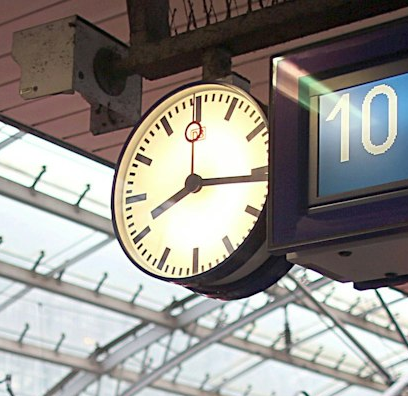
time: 8:16
